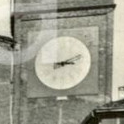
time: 3:11
